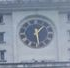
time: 1:28
